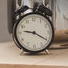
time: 9:20
